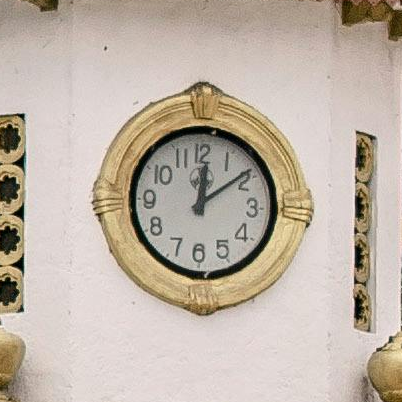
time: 12:08
